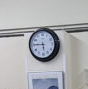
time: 5:45
